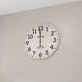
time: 11:59
